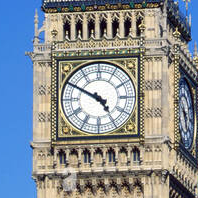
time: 4:49
